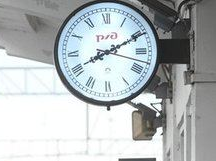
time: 8:10
